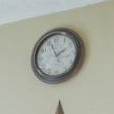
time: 1:56
